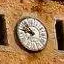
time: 10:47
